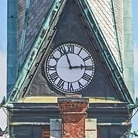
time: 2:56
